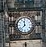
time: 11:37
